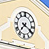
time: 7:19
